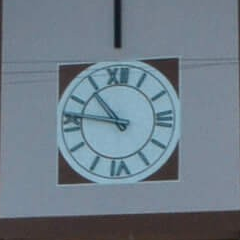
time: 10:46
